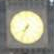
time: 7:34
